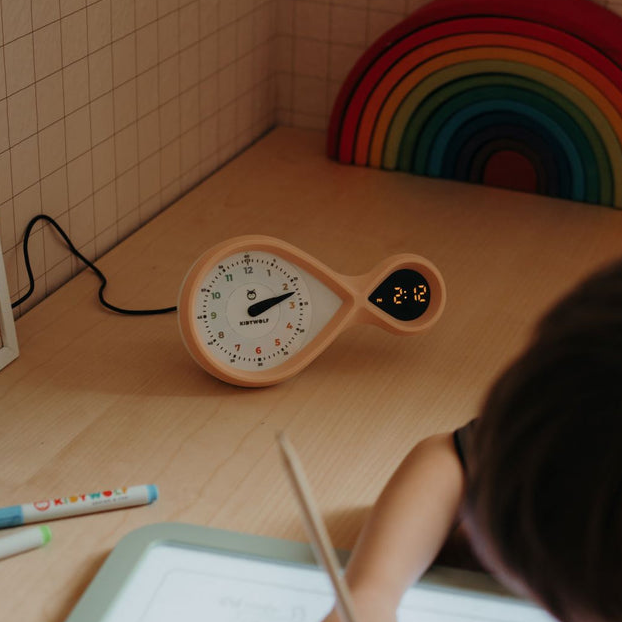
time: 2:12
